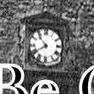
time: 10:39
